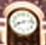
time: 8:13
